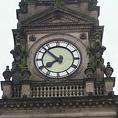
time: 7:52
